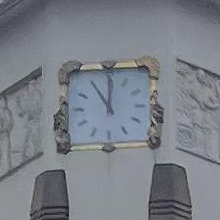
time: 11:00
